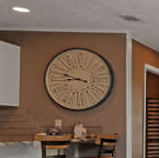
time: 8:48
